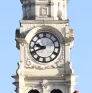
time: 9:41
